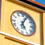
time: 5:04
